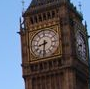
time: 8:31
